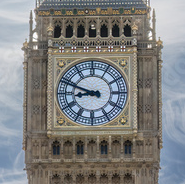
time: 8:48
